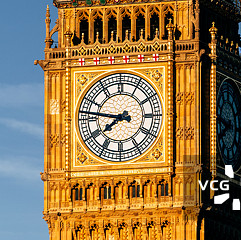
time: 7:46
